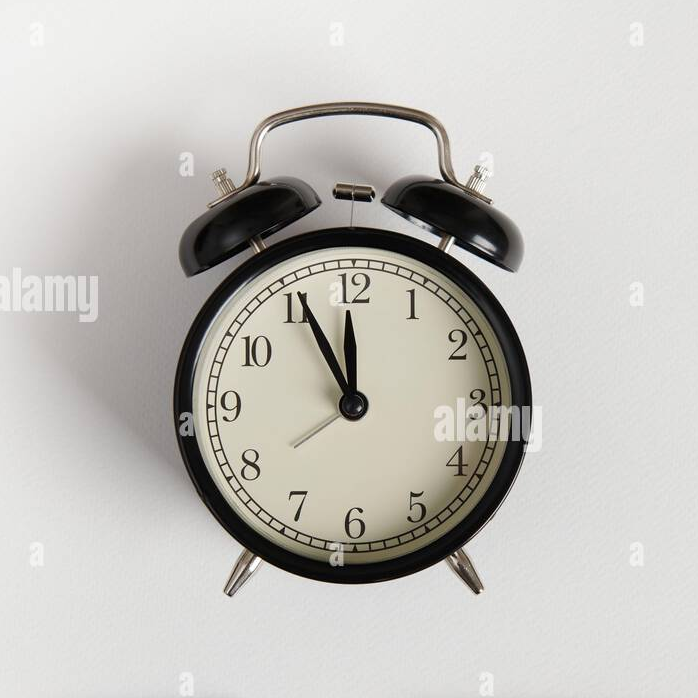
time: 11:55
